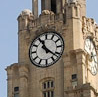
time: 11:21
